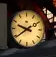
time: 9:39
